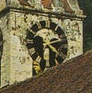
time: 2:21
